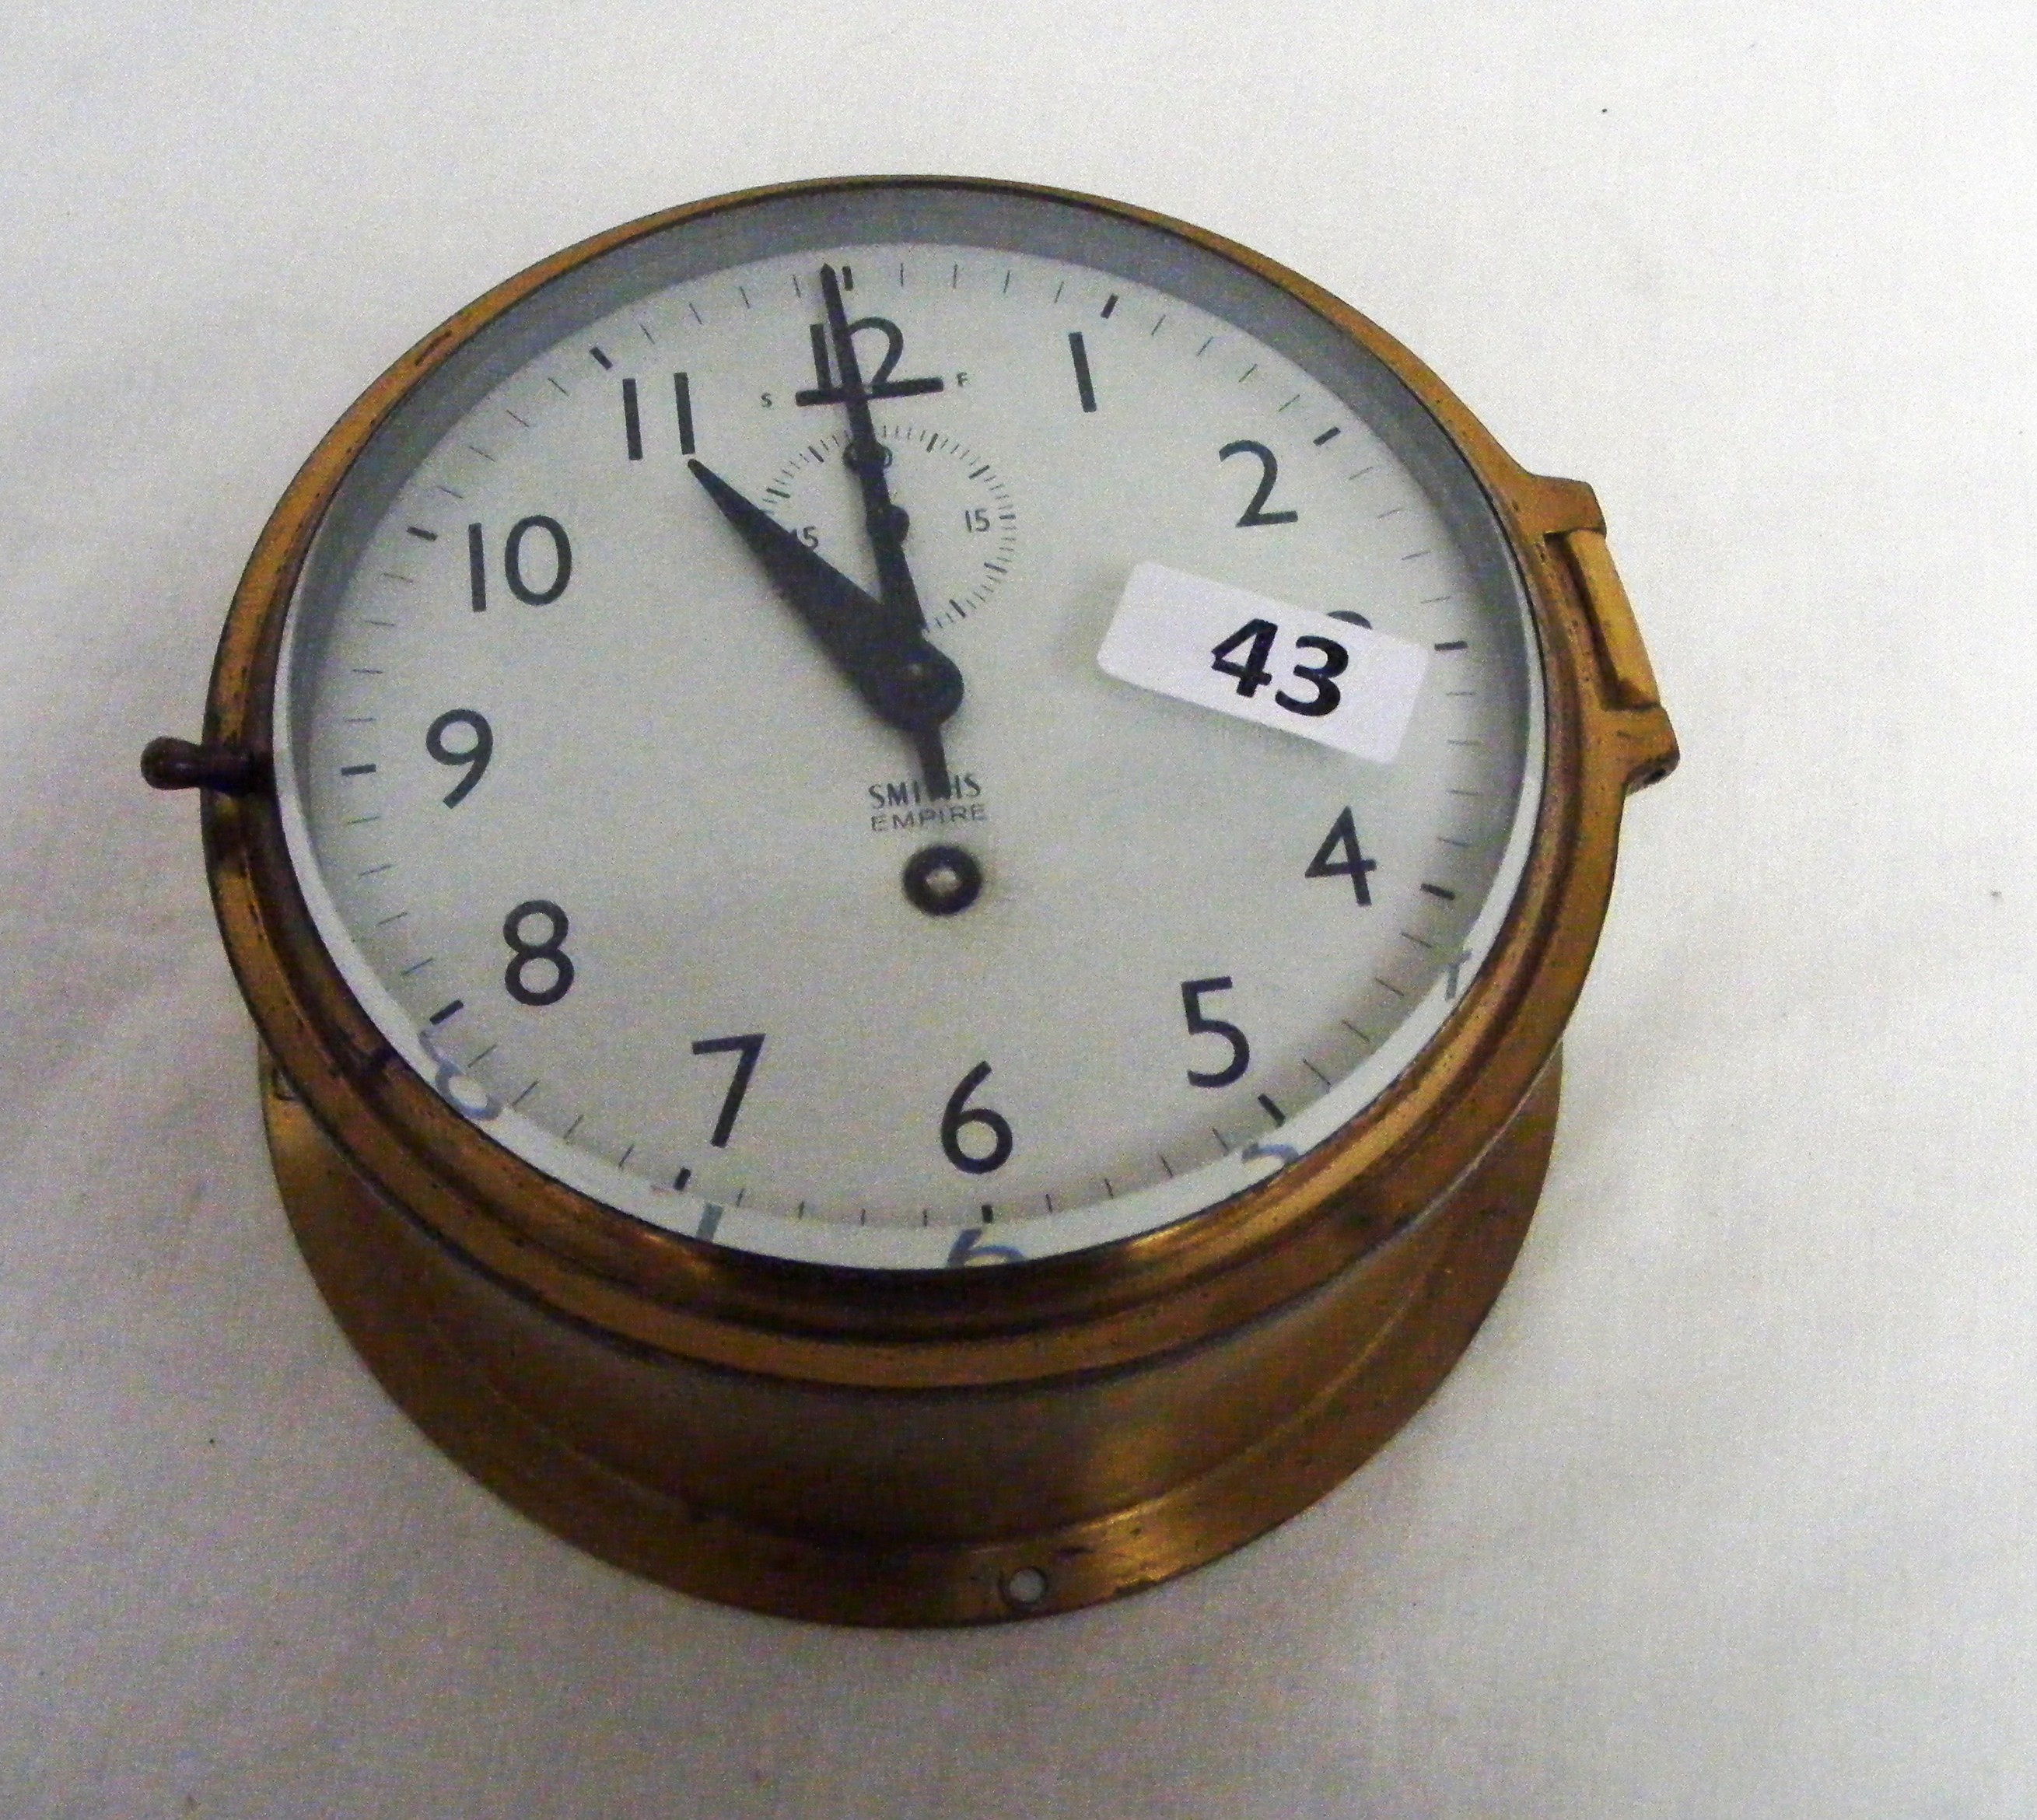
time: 10:59
